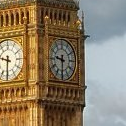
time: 9:30
